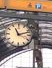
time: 11:12
